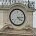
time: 4:14
